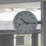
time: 10:15
